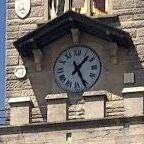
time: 1:26
